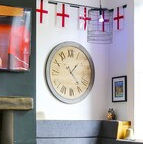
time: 1:23
